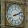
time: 2:11
